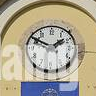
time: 1:49
